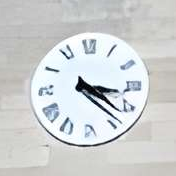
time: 3:22
